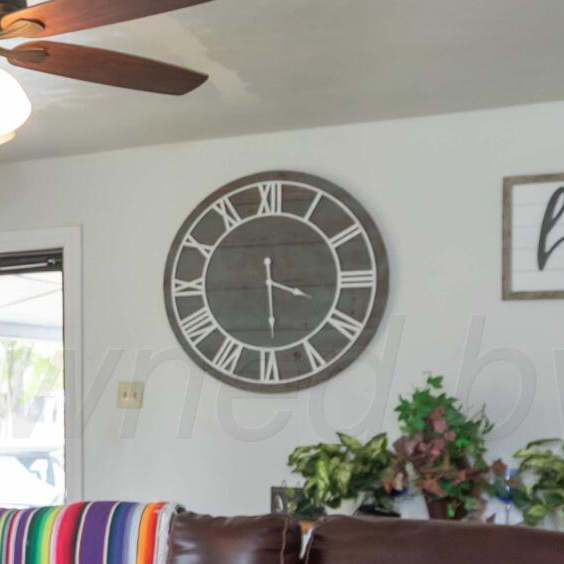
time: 3:29
